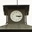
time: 3:14
